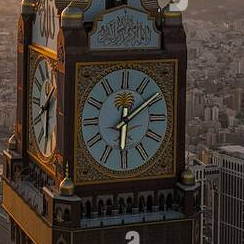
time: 6:08
